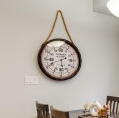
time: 5:41
